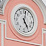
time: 5:01
